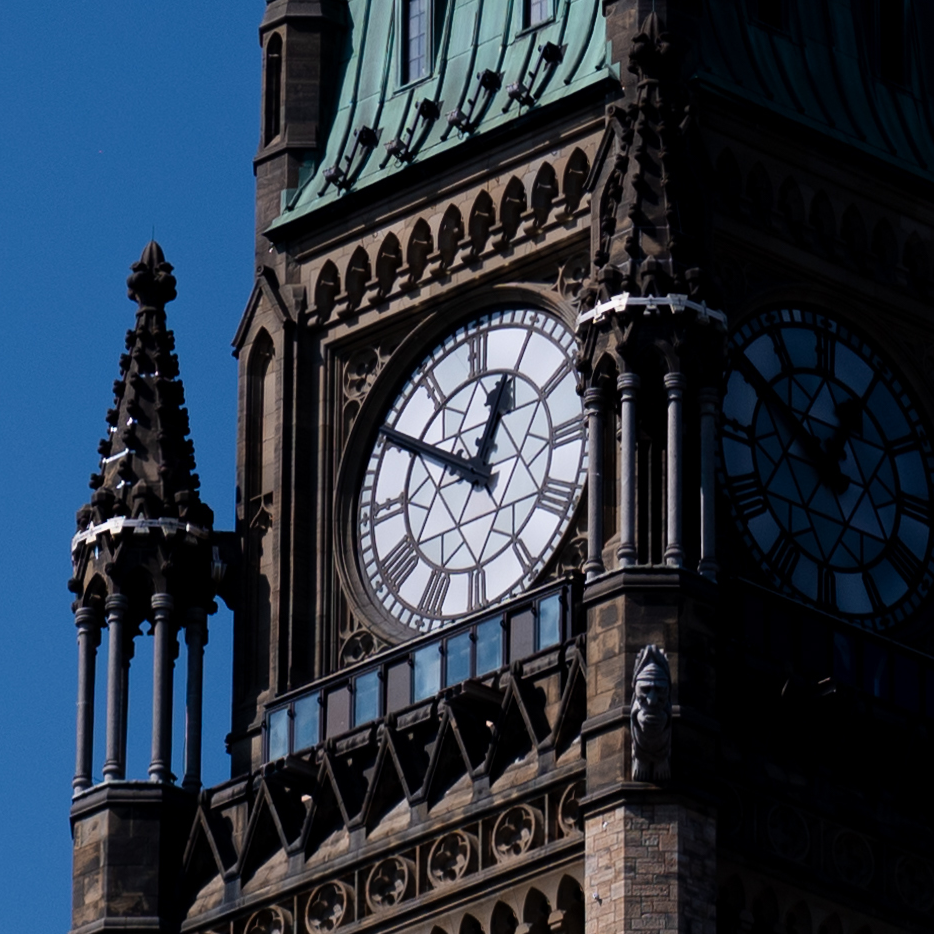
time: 12:50
